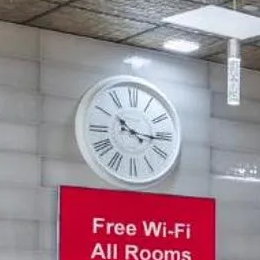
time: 10:15
